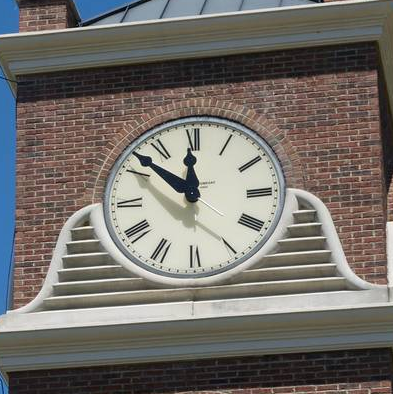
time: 11:52
